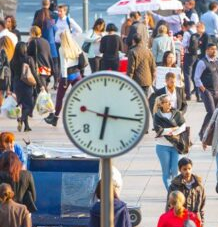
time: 6:16
